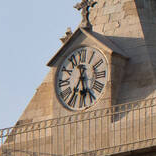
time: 5:35
